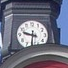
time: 9:31
